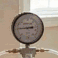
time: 2:45
